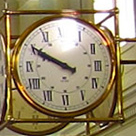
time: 9:50
